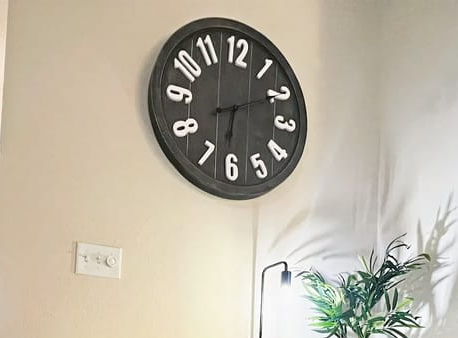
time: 6:10
